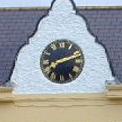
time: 8:11
